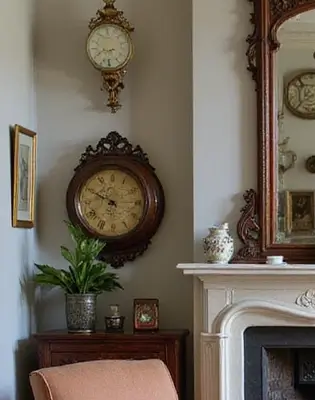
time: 9:49
